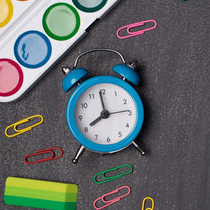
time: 7:59
